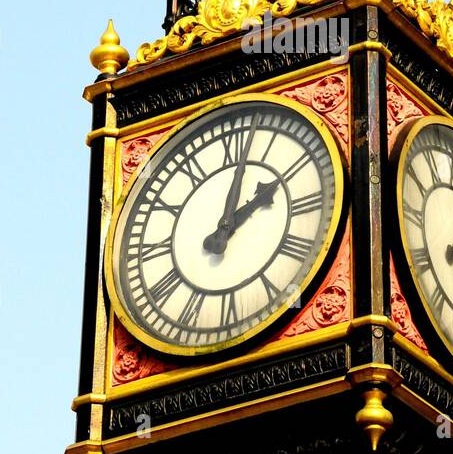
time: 2:02
